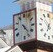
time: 4:23
